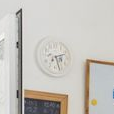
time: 2:27
